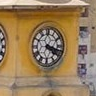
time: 4:17
